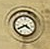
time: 3:40
